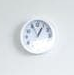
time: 12:55
